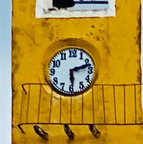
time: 2:29
